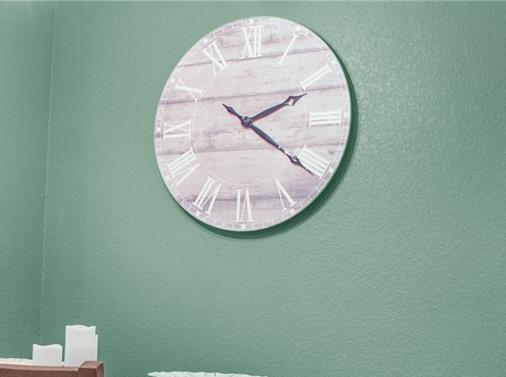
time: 2:21
